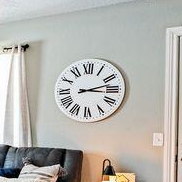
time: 3:12
